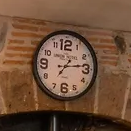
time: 7:13
